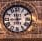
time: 11:44
